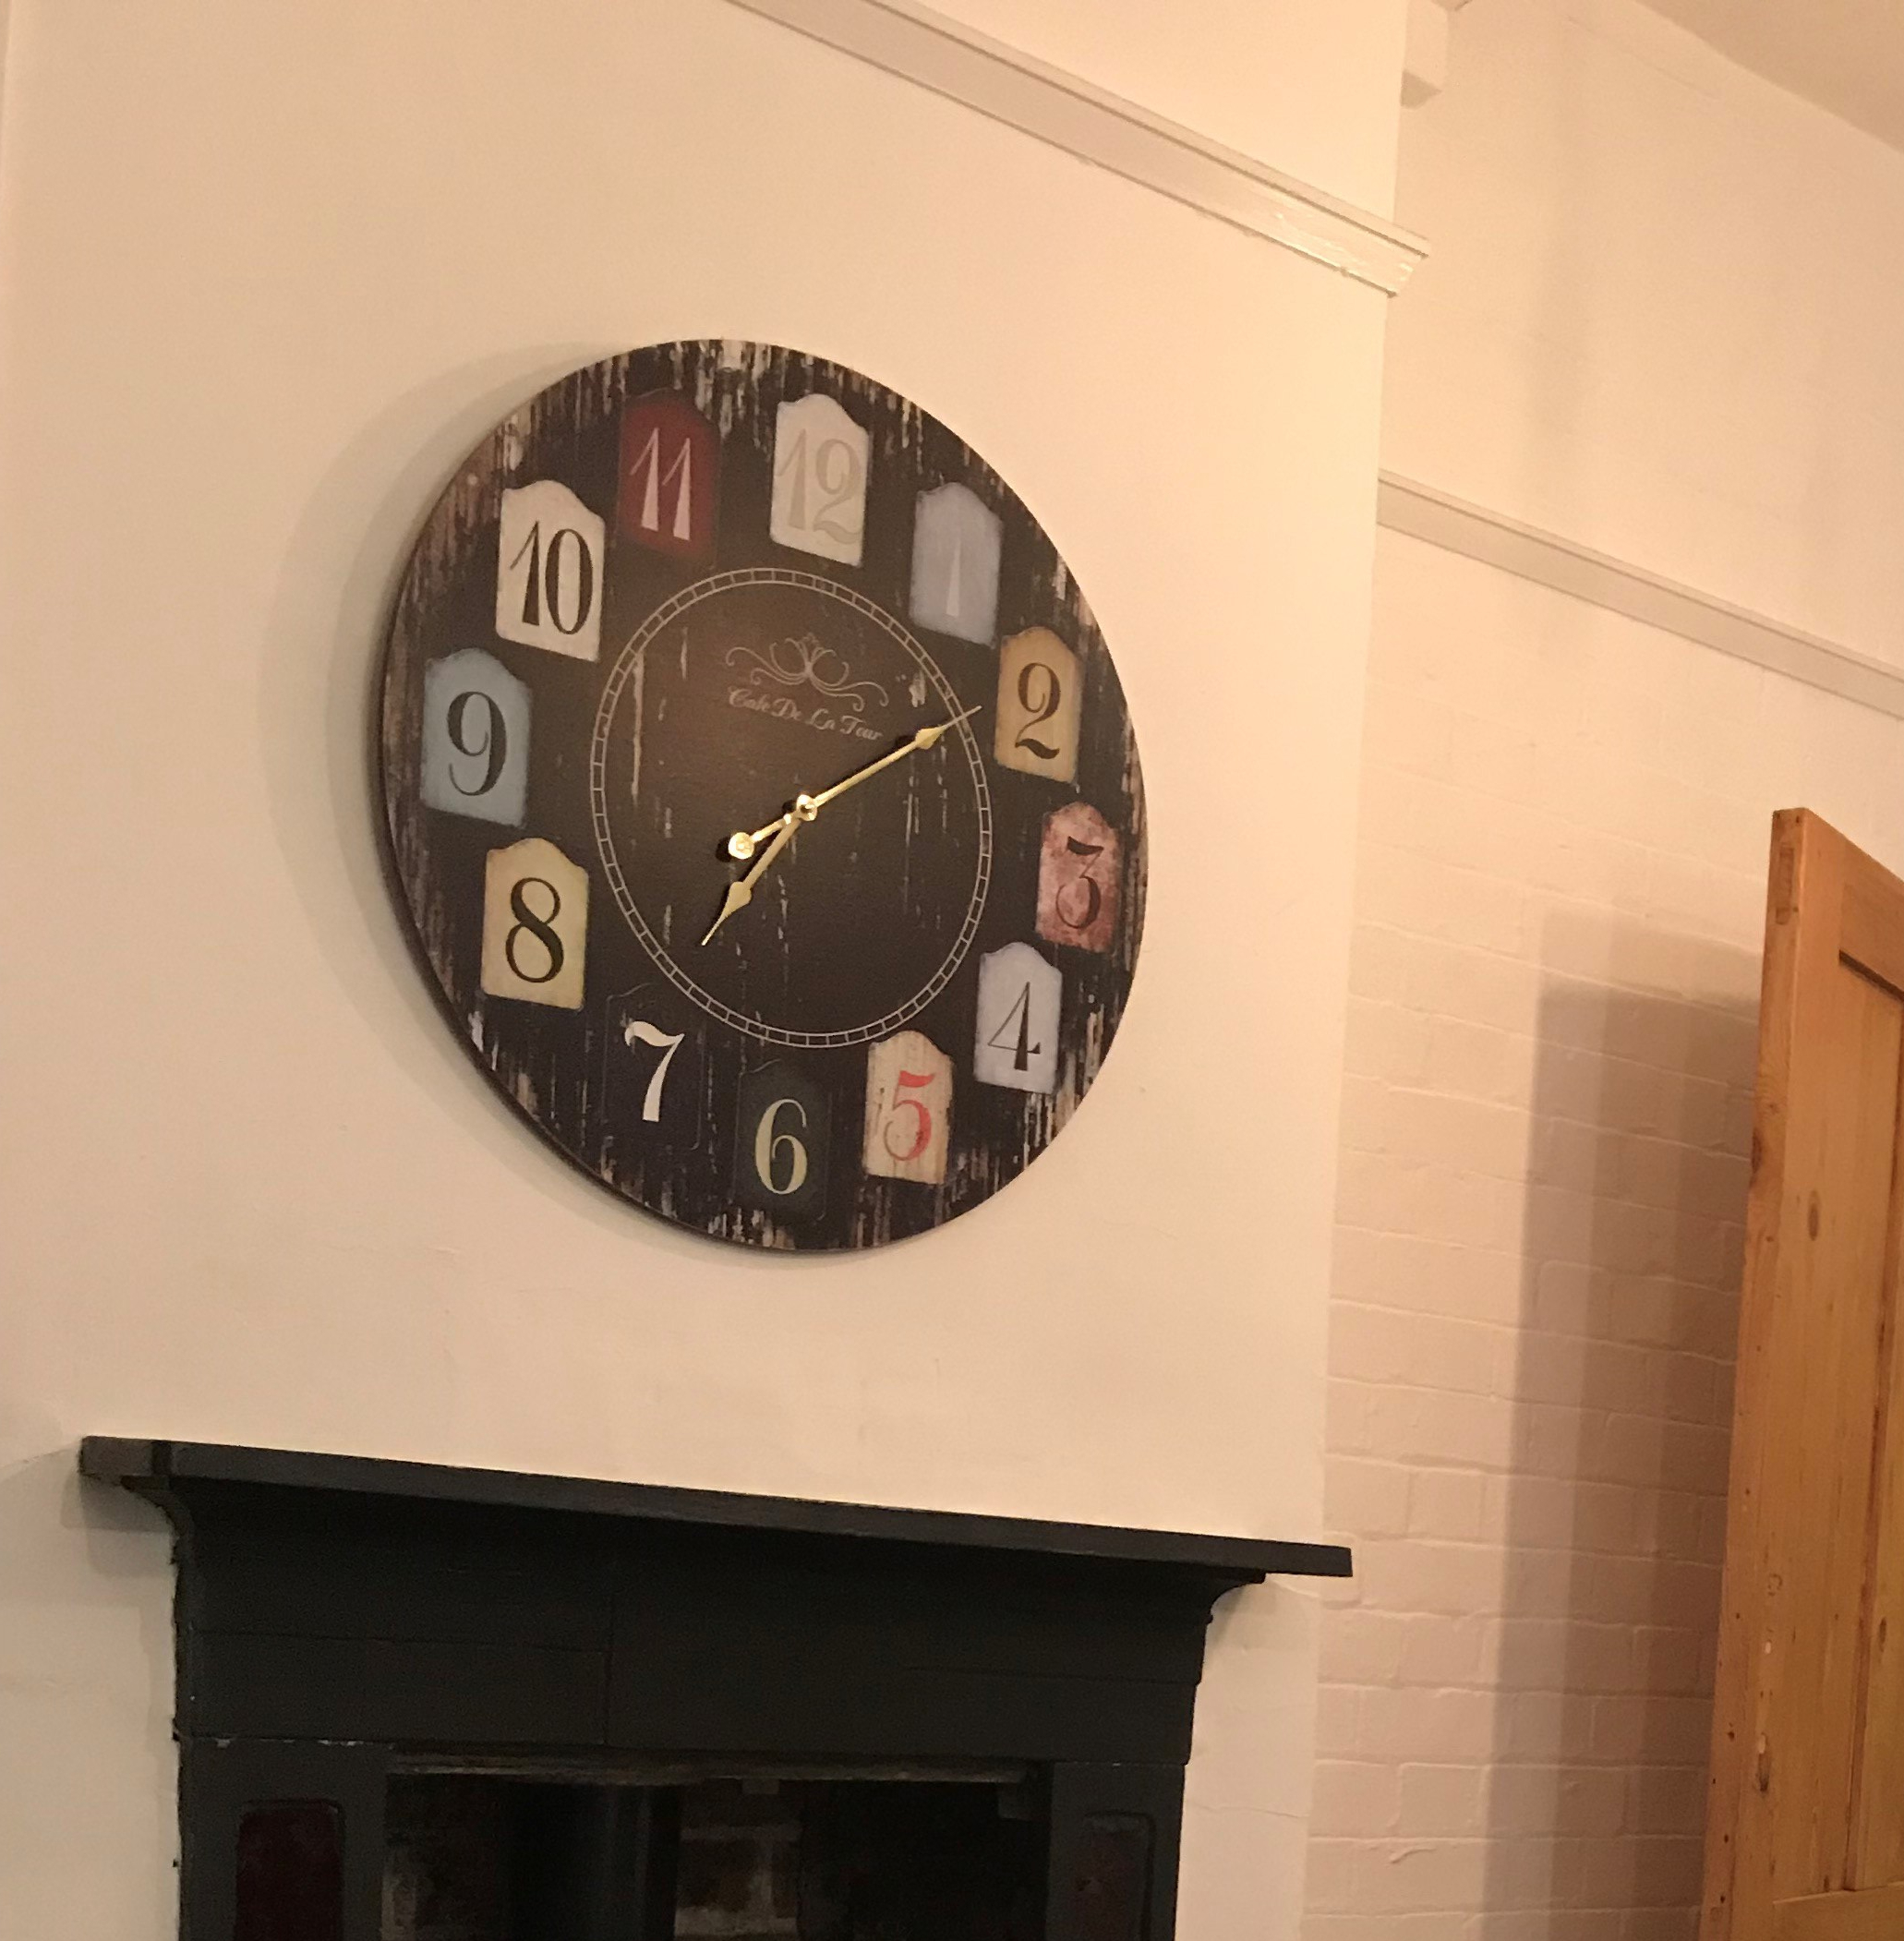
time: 7:09
